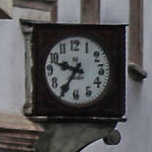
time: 9:35
